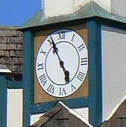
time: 4:55
